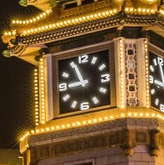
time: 8:56
